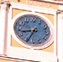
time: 8:34
